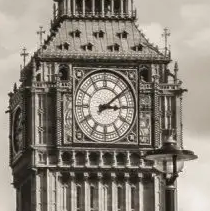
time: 3:09
